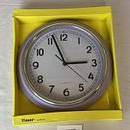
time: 2:56
